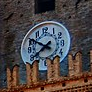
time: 7:50
